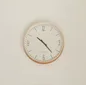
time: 10:23
